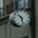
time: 10:28
